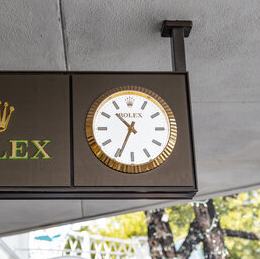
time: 10:34
